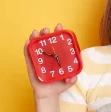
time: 5:49
